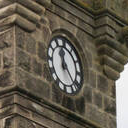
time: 11:22
